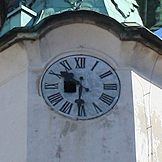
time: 10:30
